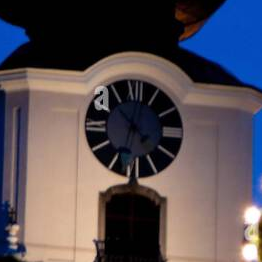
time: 4:33
